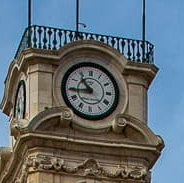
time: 10:44
